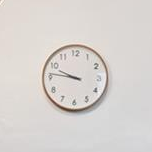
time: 9:46
